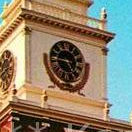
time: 4:46
